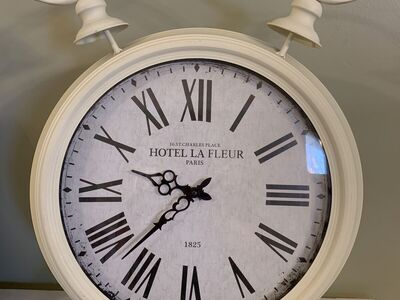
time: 9:37
